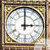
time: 3:00
